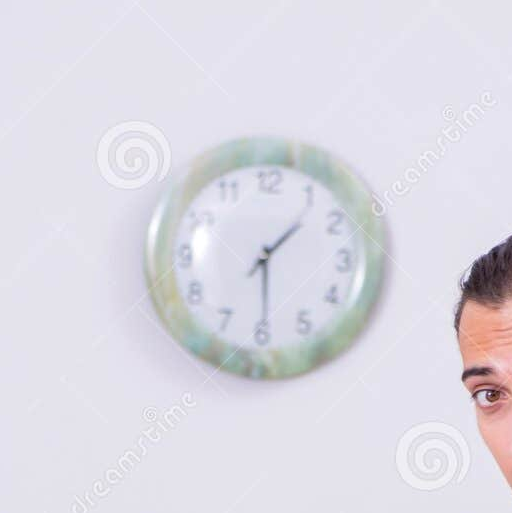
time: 1:29
